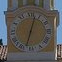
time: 12:32
